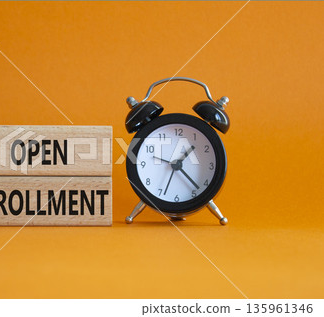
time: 1:22
